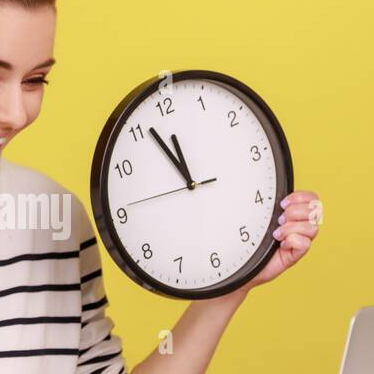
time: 11:56
